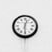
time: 12:29
